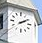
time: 2:09
